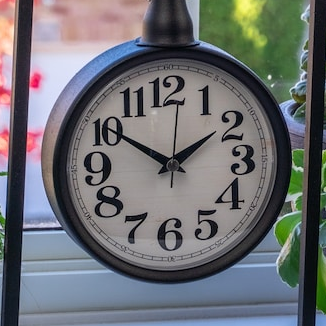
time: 1:50
